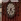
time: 4:35
